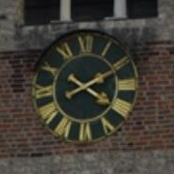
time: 4:10
